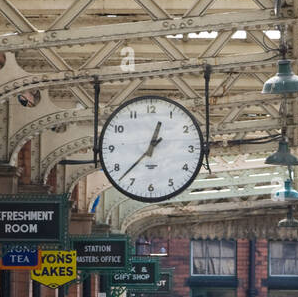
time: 12:37
